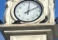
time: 12:09
